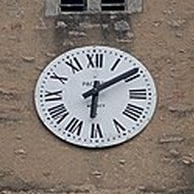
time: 6:09
